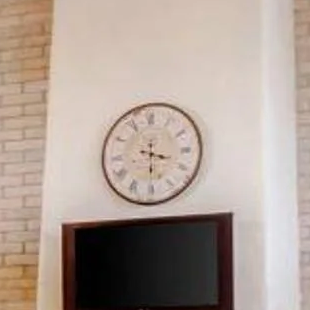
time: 3:30
